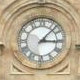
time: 3:07
